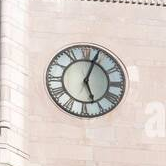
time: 5:03
